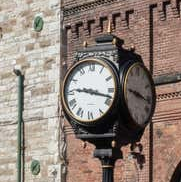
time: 9:17
